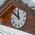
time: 11:51
